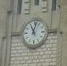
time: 11:02
